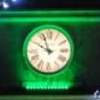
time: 9:56
